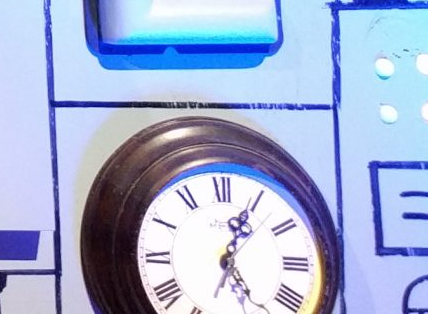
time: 5:04
